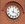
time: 12:18
